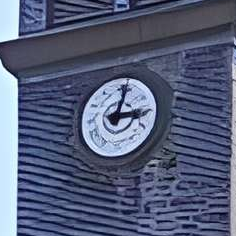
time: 3:02
